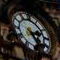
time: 2:23
